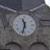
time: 11:32
